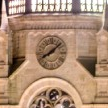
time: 8:07
